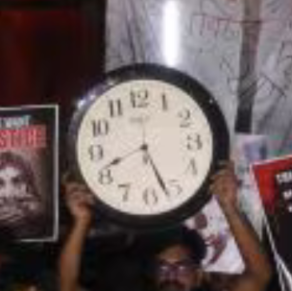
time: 8:26
